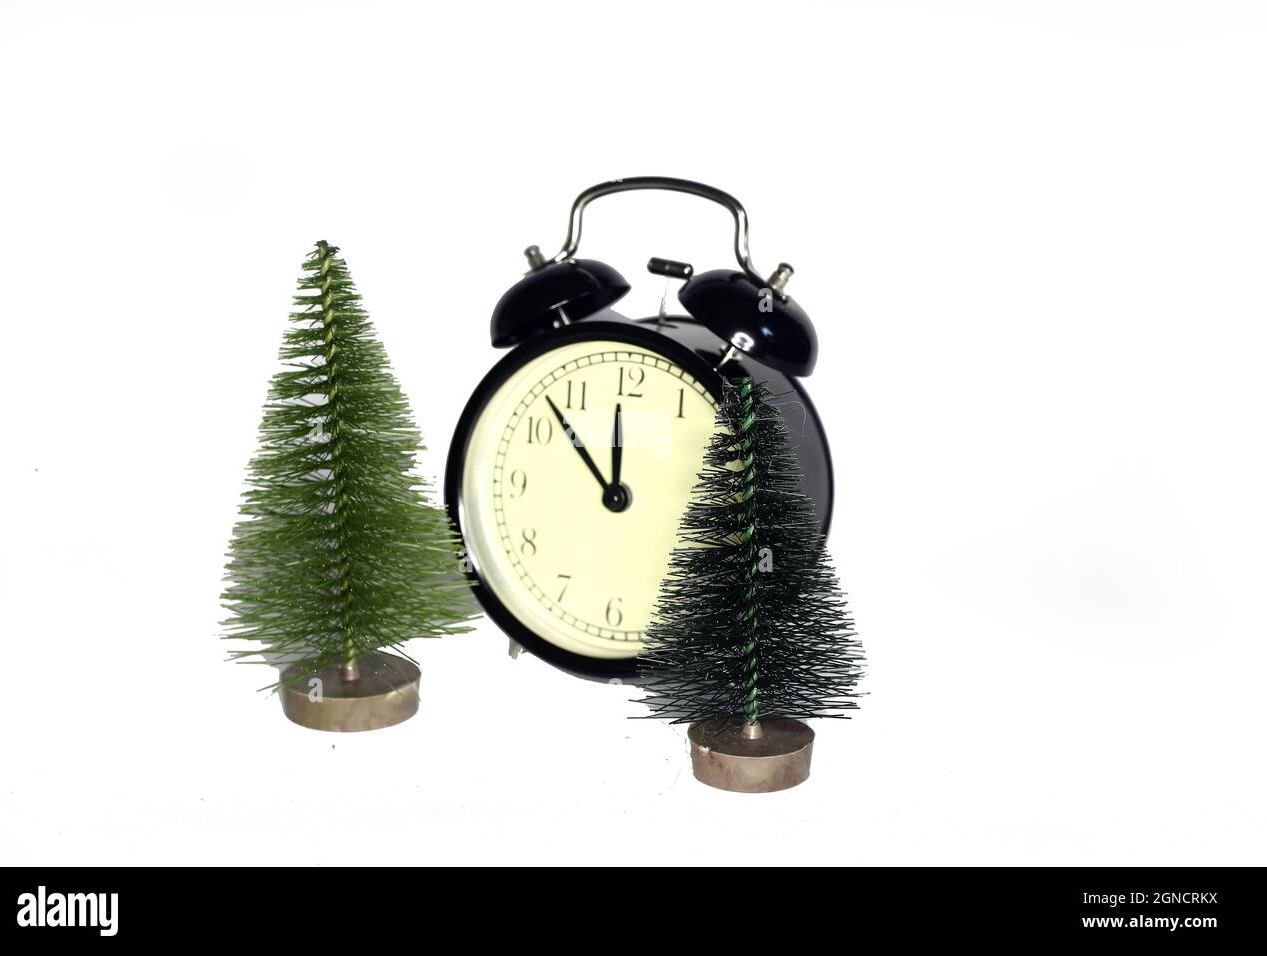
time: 11:52
